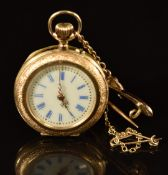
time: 4:59
